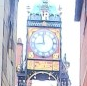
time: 8:58
